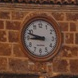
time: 8:47
